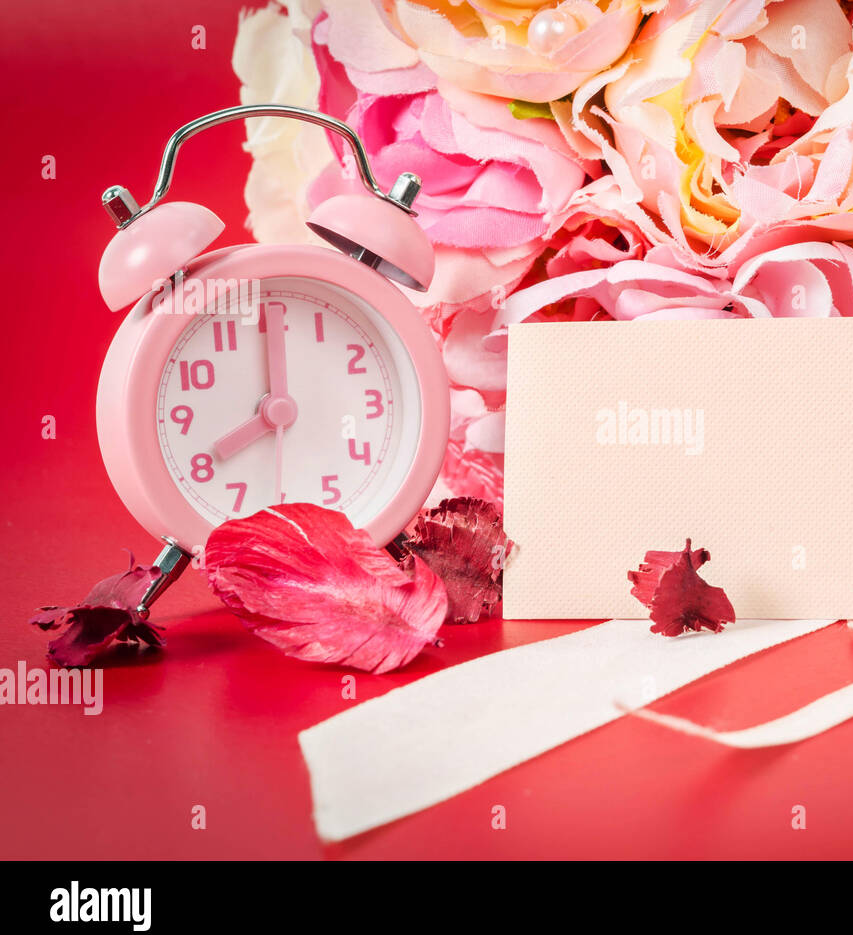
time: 8:00
